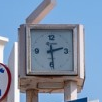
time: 2:29
